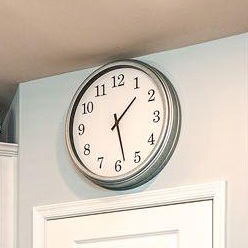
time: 1:28
